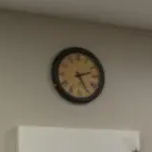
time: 2:25
